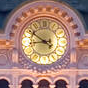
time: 8:50
